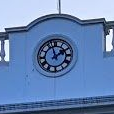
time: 1:57
